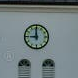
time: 8:59
